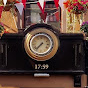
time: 7:37
